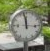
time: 11:58
